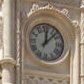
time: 12:07
